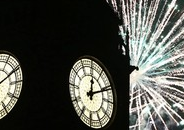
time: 12:10
